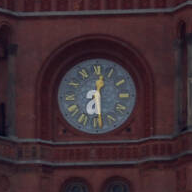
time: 12:28
